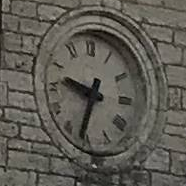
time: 9:33
